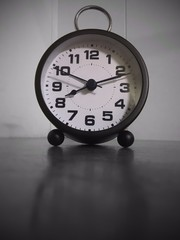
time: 8:11
